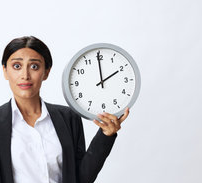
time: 1:59
